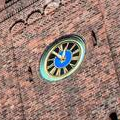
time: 11:50
